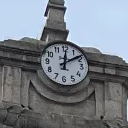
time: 12:09
